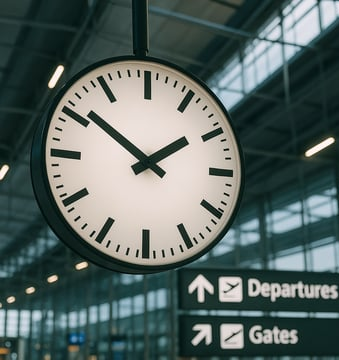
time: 1:51
